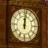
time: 12:01
